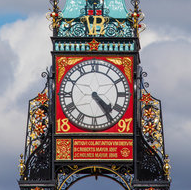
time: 4:23
